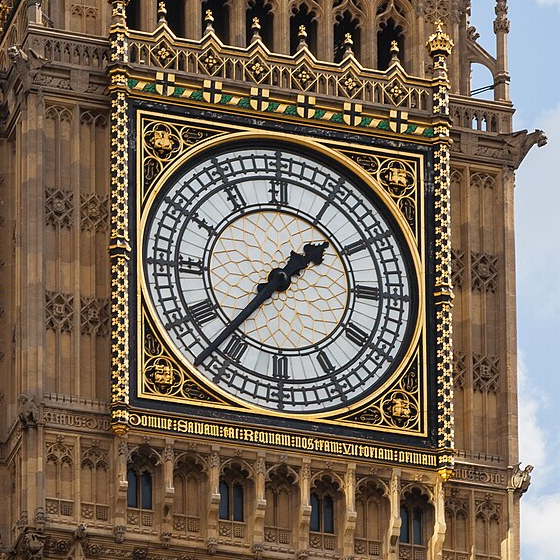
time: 1:36
